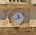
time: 11:40
